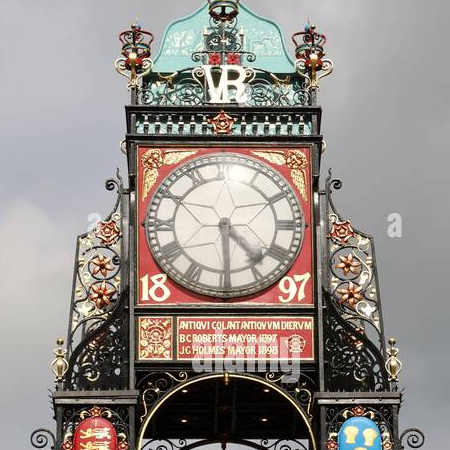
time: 4:29
